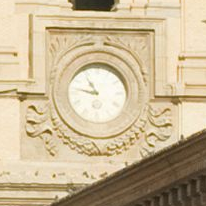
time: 10:47
